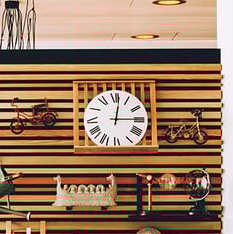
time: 12:14
